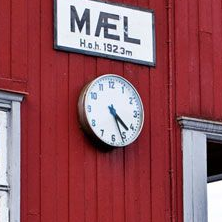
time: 4:26
